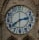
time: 2:39
